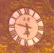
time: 5:46
